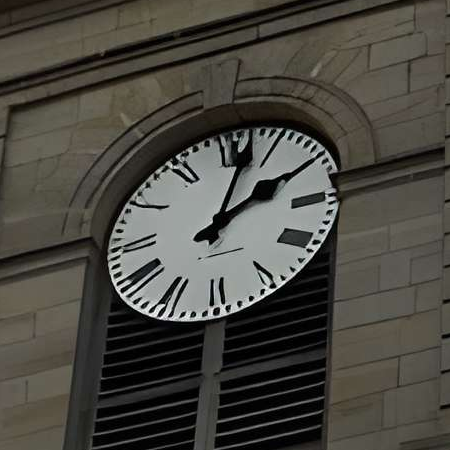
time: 2:02
